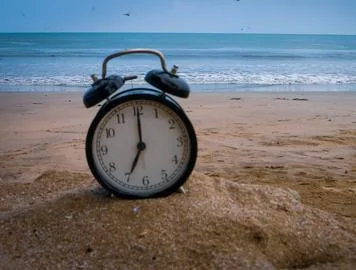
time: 7:00
